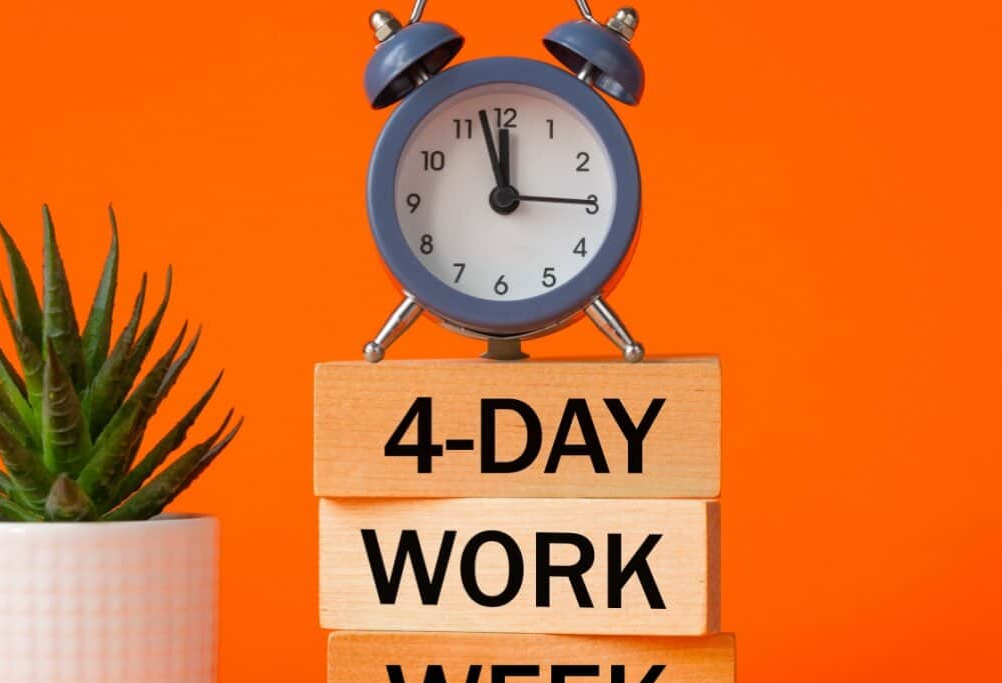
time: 11:57
